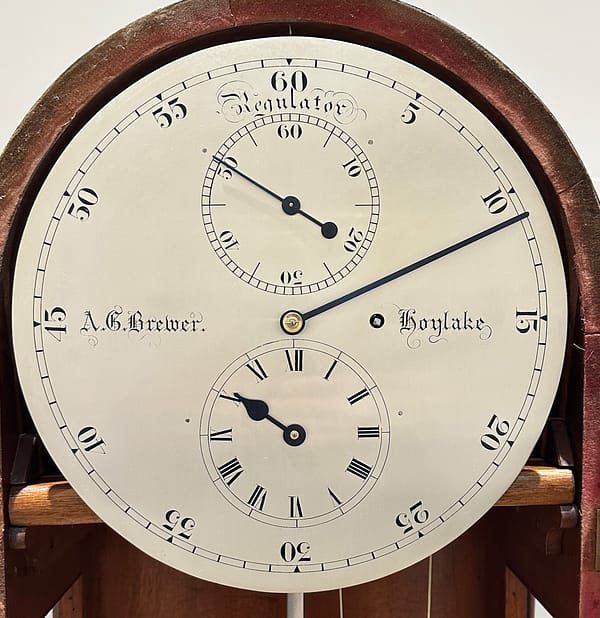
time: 9:49
